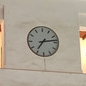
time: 7:13
